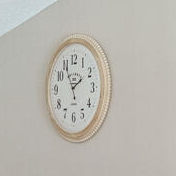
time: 1:55
